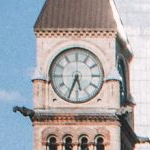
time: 5:34
